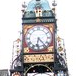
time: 6:23
